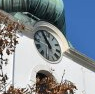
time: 10:55
